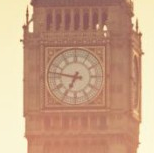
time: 6:47
